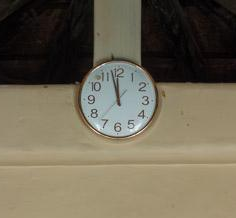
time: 11:57
